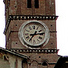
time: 7:13
